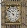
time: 5:51
